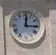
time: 12:14
